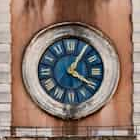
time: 4:05
